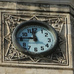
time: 11:45
